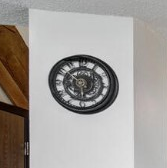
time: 5:51
